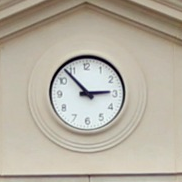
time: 2:53
